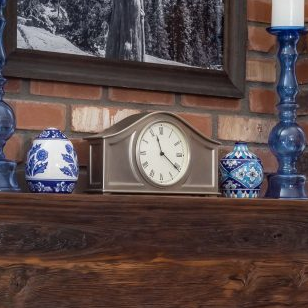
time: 11:21
